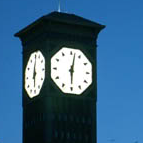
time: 6:02
